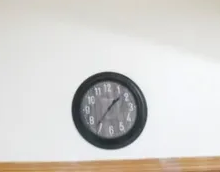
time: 1:36
